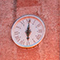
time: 6:00
